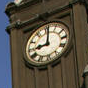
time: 9:01
